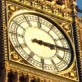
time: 3:14
